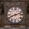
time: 8:12
